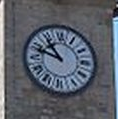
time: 10:48
